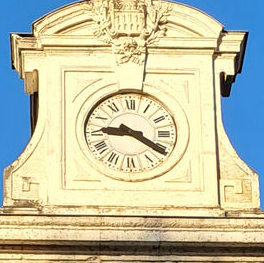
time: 9:20
